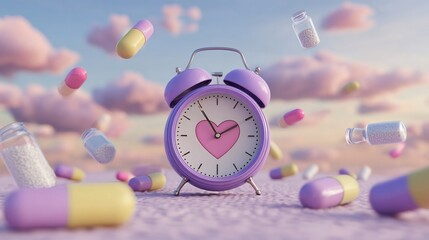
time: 1:54
